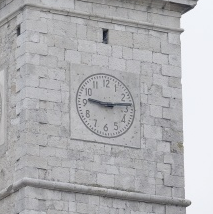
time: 9:13
